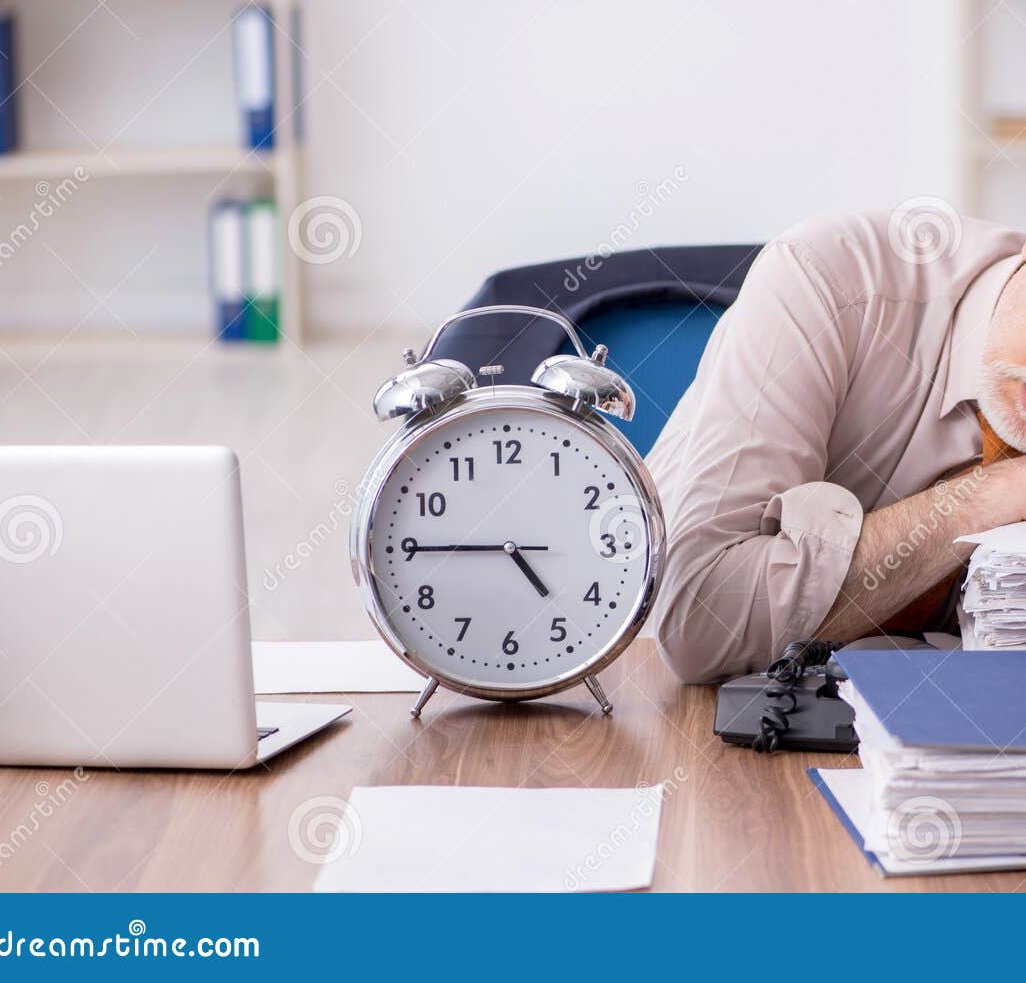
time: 4:45
